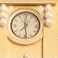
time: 7:28
